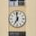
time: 6:58
